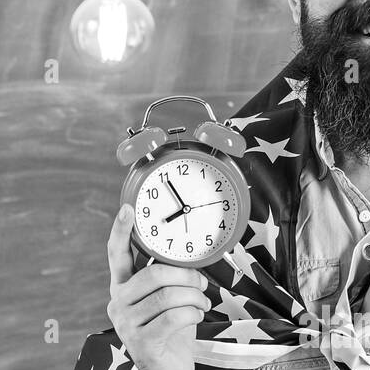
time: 7:55
